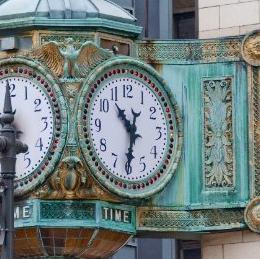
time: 10:31
